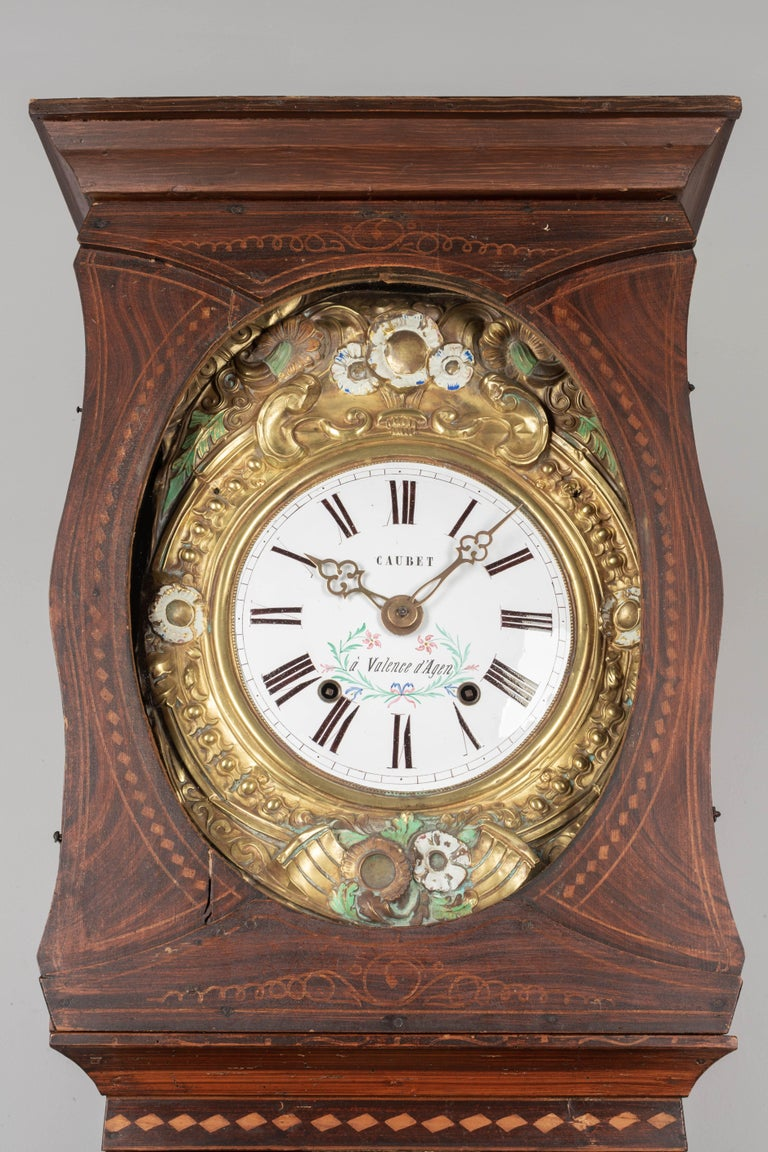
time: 10:07
